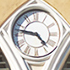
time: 4:47
